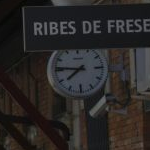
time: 7:46
